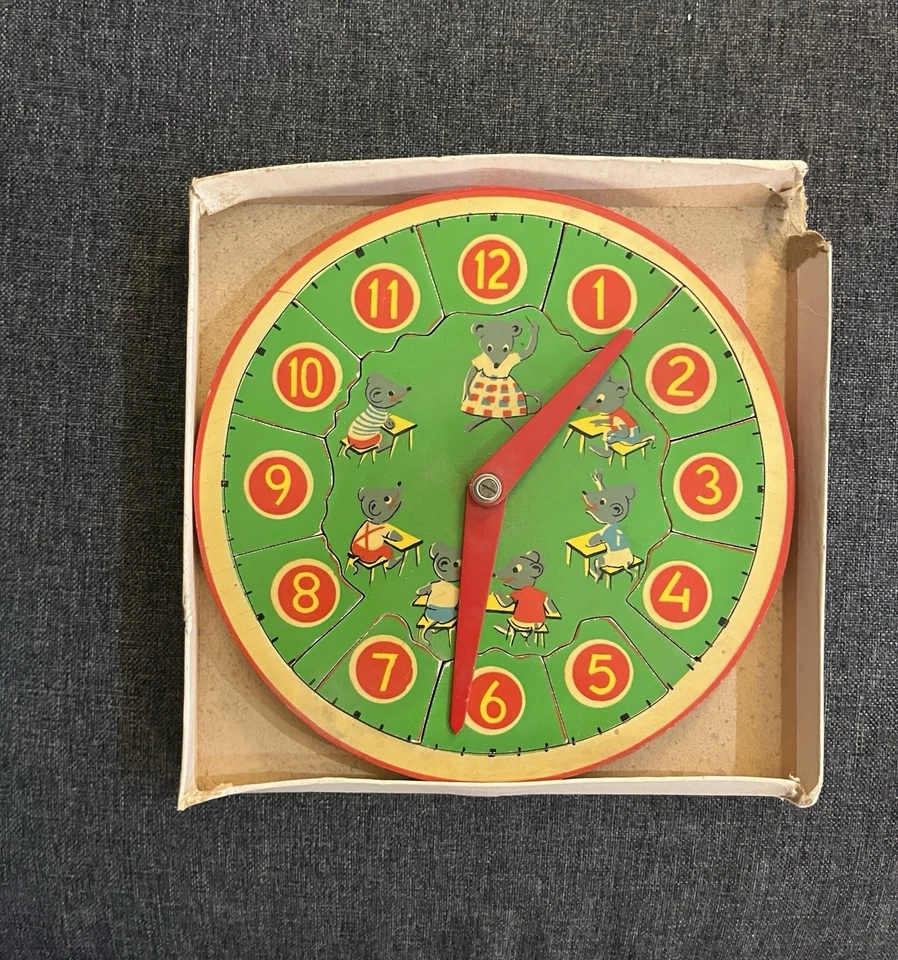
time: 1:31
